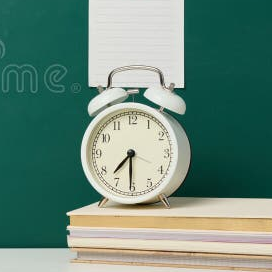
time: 7:30
